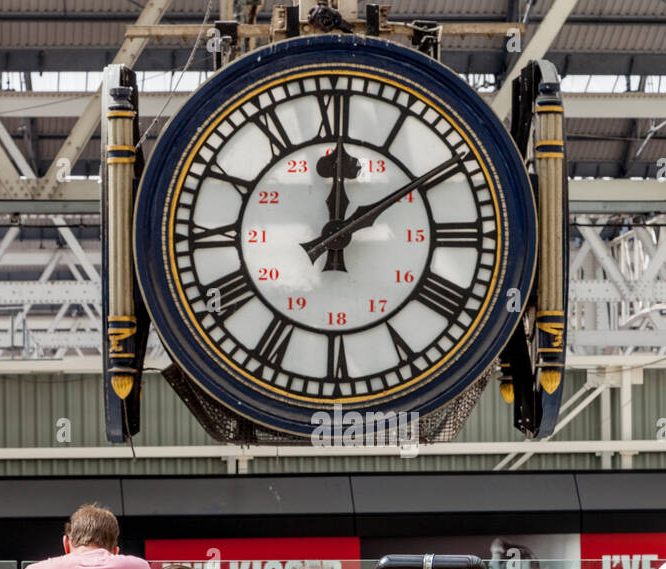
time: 12:09
